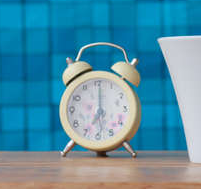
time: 7:00
